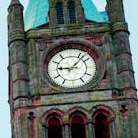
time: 9:07
